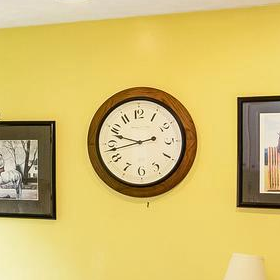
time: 9:42
